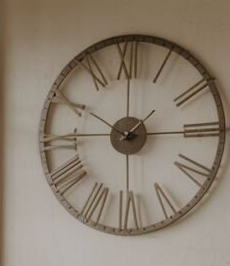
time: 2:00
